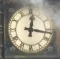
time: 12:16
